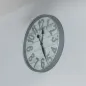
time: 12:26
